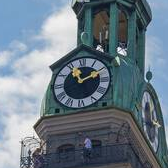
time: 11:10
